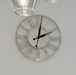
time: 2:01
